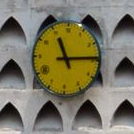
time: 11:14
